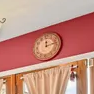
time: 12:13
